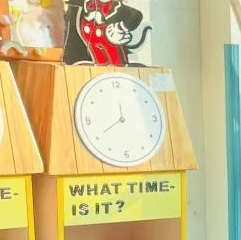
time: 11:40
